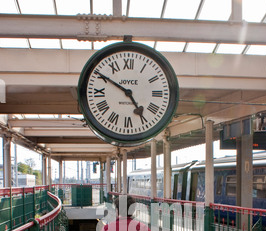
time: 4:50
